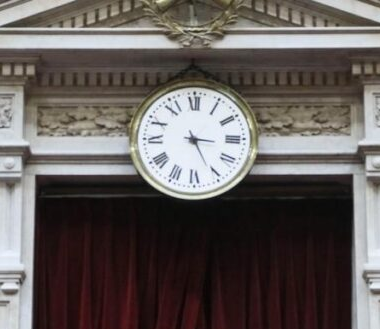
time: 3:25
